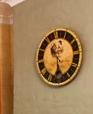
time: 10:28
